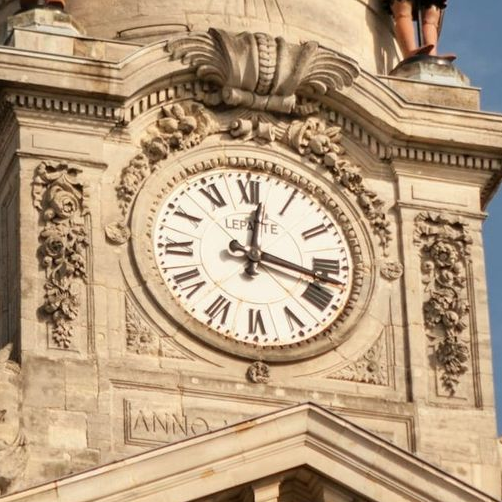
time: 12:17
